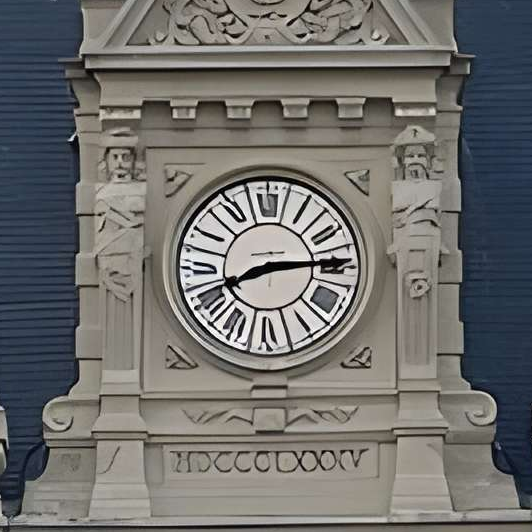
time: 8:14
